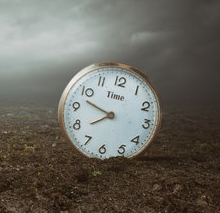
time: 7:47
